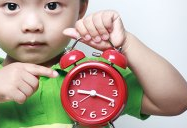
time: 9:18
